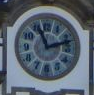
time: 11:12
